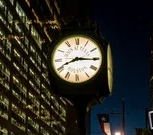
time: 8:15
